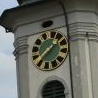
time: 1:37
